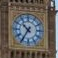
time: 10:35
